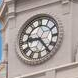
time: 4:45
